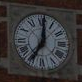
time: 7:00
